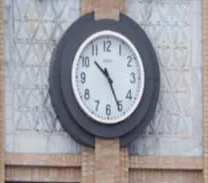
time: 10:25
